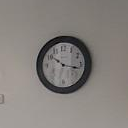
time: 10:17
